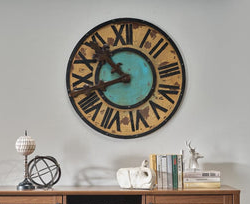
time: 10:42
